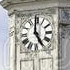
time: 4:59
